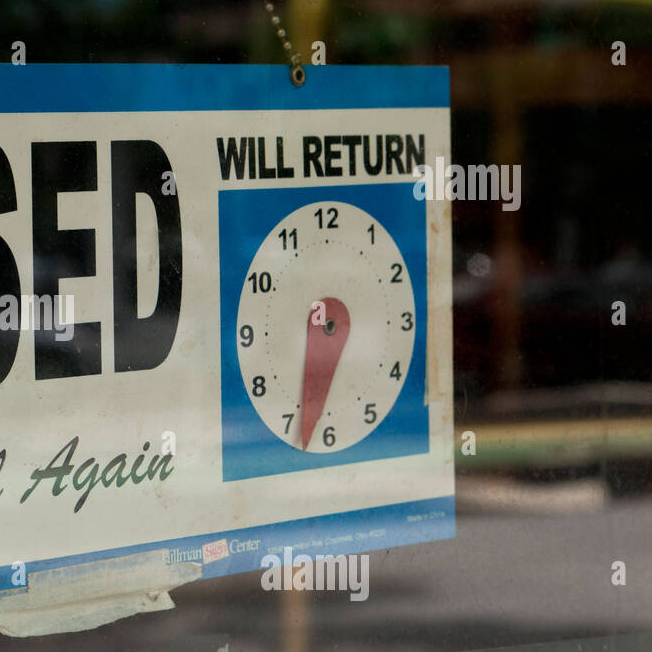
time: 6:32
